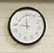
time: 11:45
